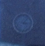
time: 3:07
